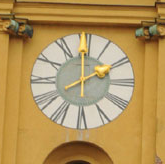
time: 2:00
